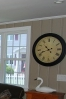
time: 10:42
